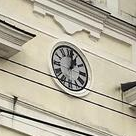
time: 1:01
